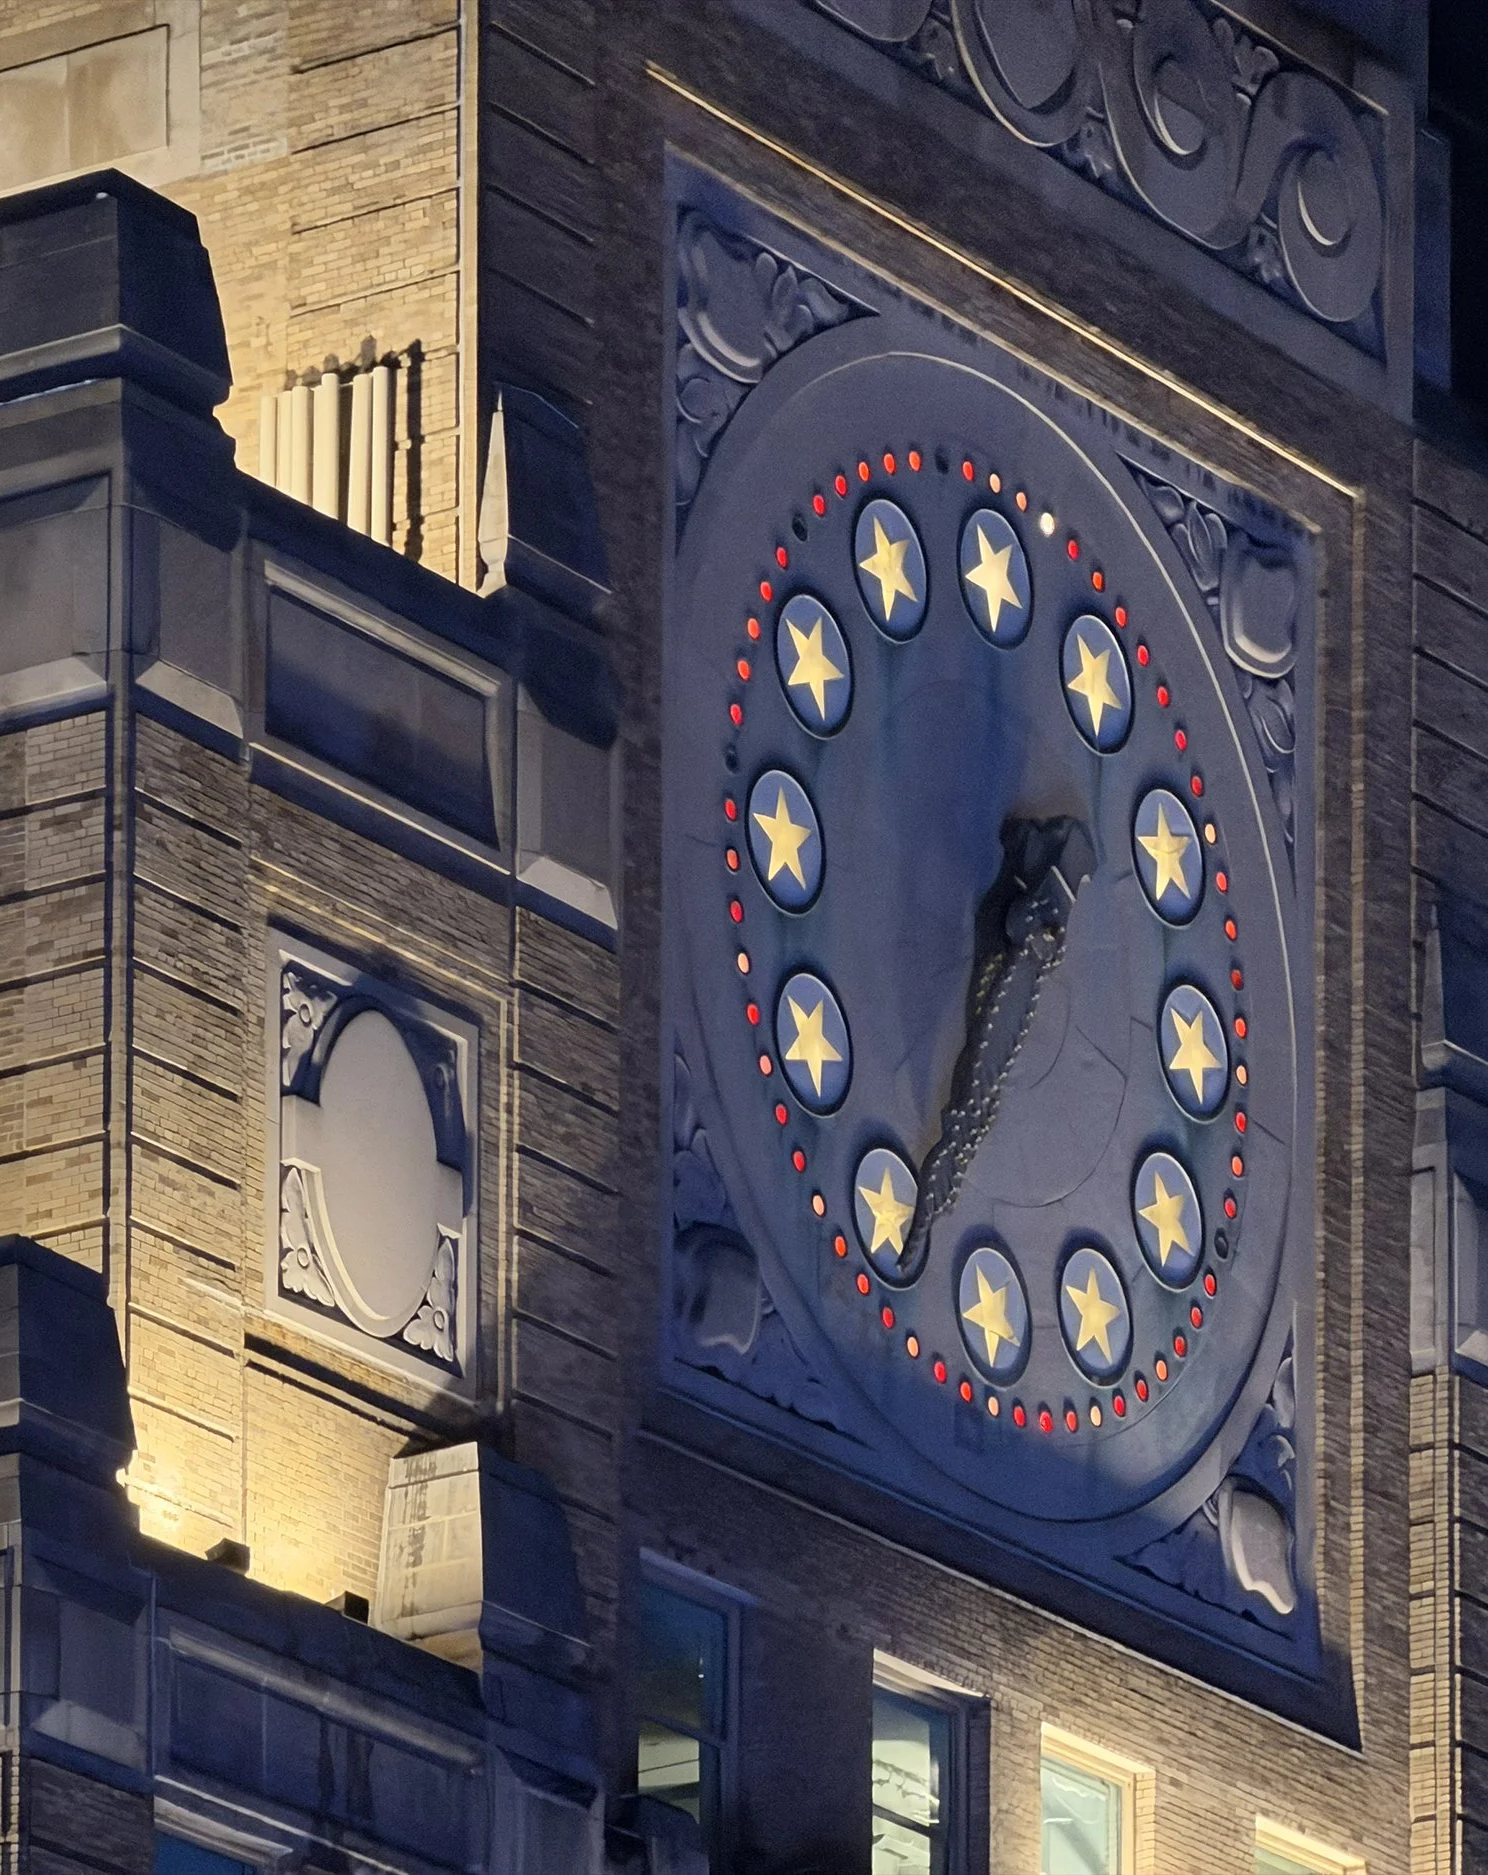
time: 1:34
